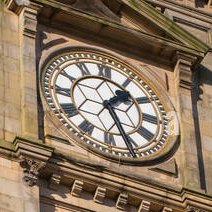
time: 1:26
